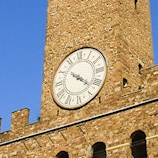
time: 4:21
